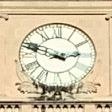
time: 2:48
